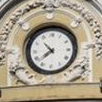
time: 7:52
